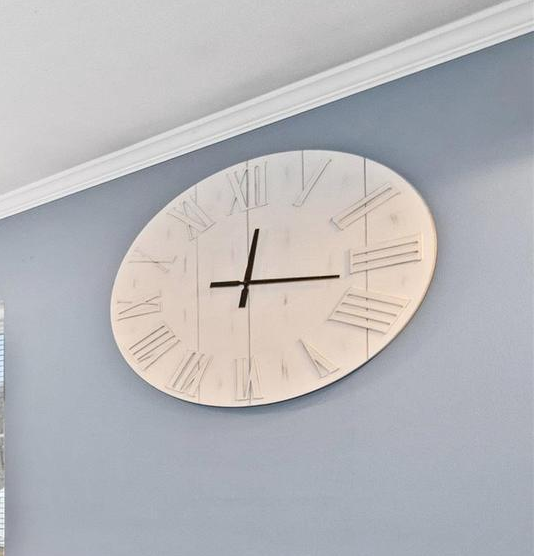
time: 12:16
